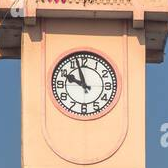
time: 9:57
